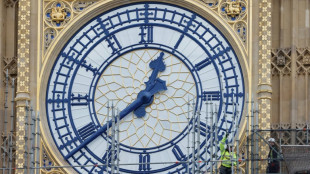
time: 12:39
